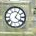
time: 4:05
